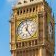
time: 12:24
